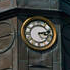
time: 3:12
